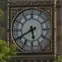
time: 5:40
